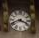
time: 3:41
